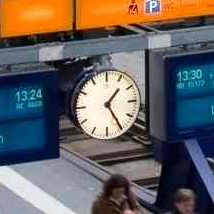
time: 1:24
